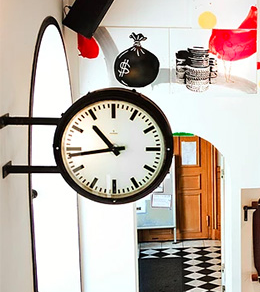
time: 10:43
